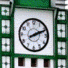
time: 2:11
